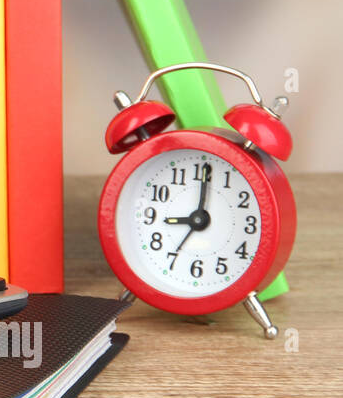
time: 9:01
